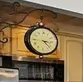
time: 3:22
